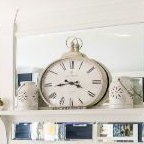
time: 3:43
